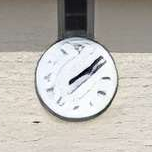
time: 2:08
